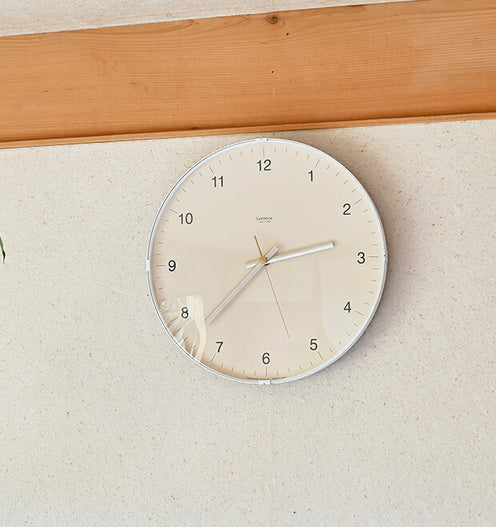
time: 2:37
